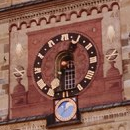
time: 12:30
